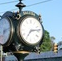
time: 7:13
